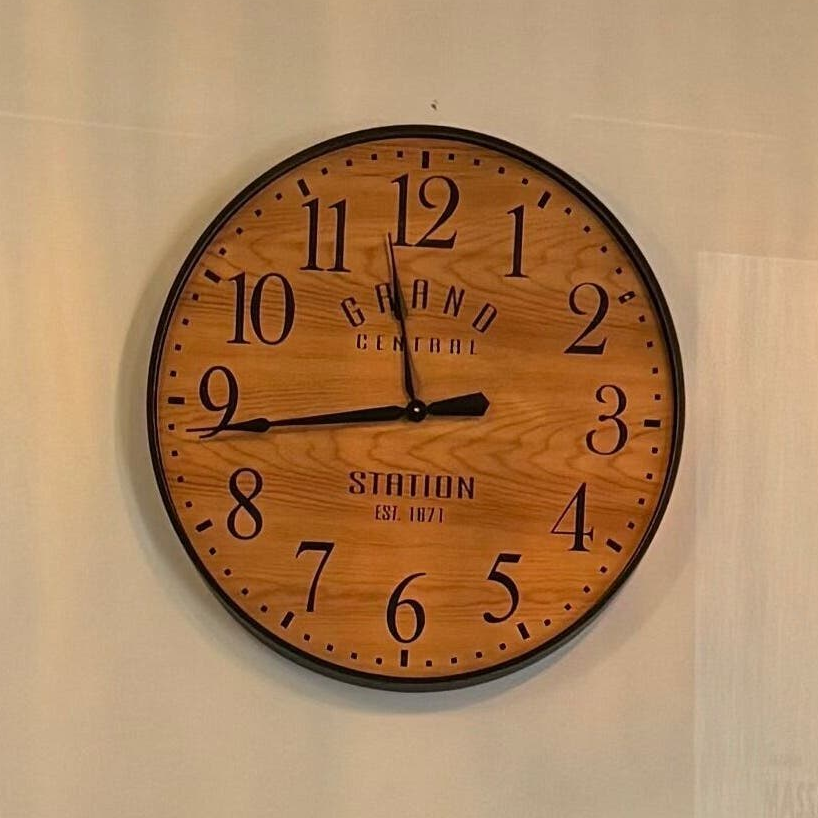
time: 11:43
